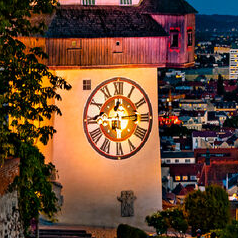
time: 12:14
